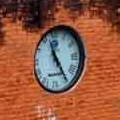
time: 11:25
